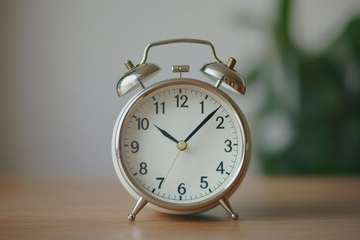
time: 10:07
